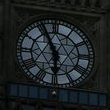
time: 5:55
